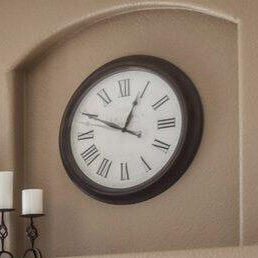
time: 12:49
